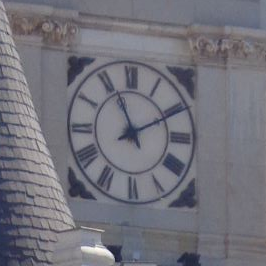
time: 11:10
